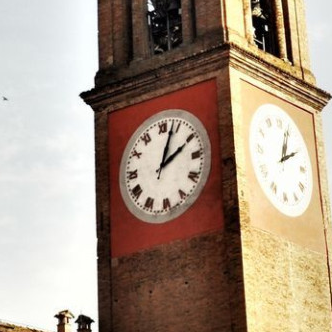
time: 2:03
